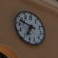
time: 6:47
